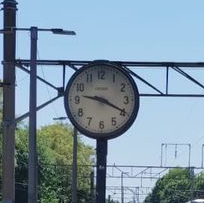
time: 9:19
